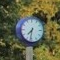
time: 7:31
